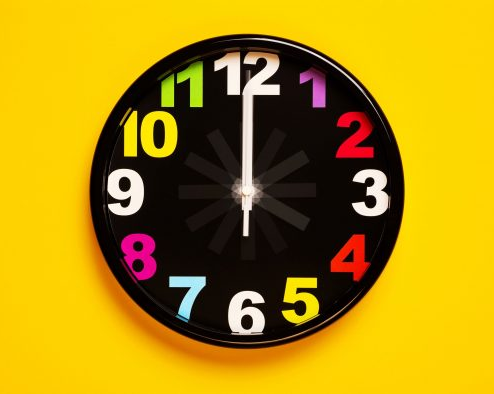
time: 1:59
